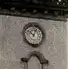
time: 10:02
